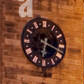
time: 6:18
